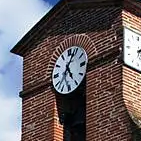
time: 5:04
